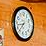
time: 8:36
